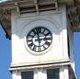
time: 2:57
